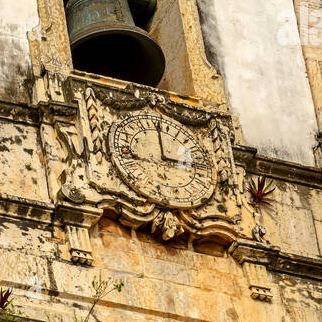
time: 2:59
